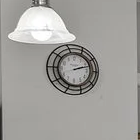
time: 2:12
